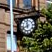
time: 11:41
